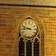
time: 8:48
